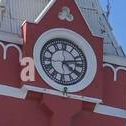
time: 4:12
